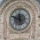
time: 11:48
